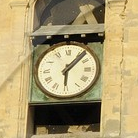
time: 6:07
